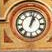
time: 1:02
